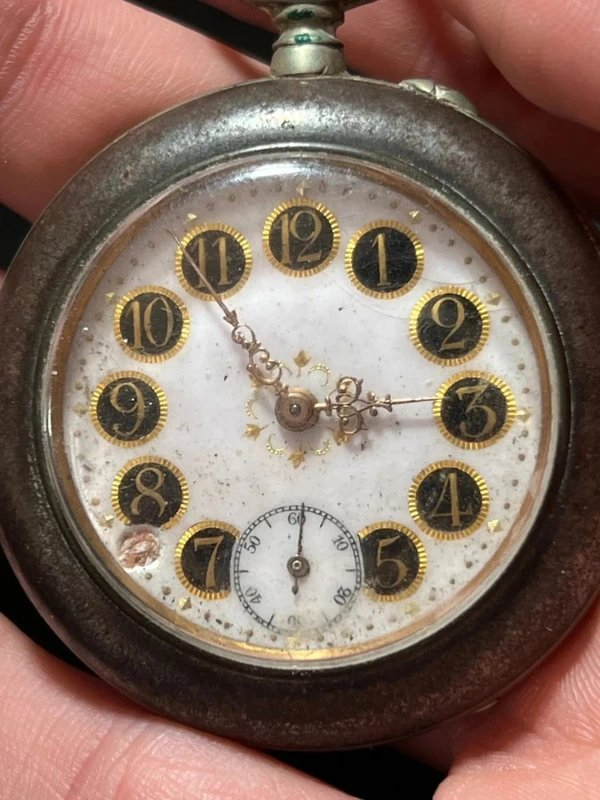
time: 2:54
